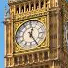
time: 12:24
